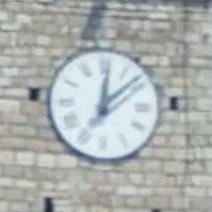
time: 12:07
